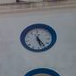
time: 5:23
